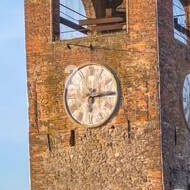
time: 6:13
